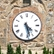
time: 4:27
